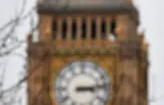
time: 3:13
